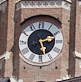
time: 2:27
